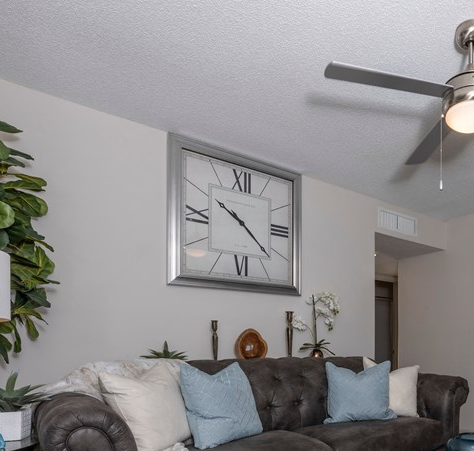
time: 10:22
